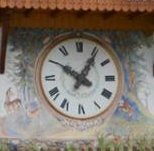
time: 10:05
